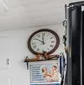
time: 11:50
